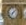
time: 7:07
